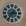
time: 2:36
